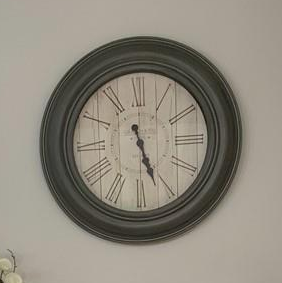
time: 5:26
